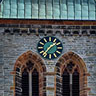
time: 1:36
